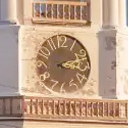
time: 3:12
